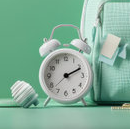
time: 2:11
